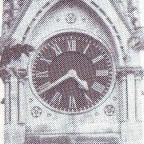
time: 4:39
